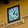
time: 1:18
